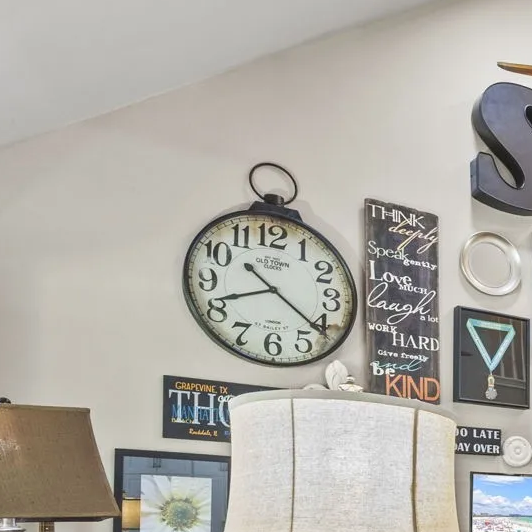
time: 8:21
